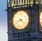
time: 8:21
